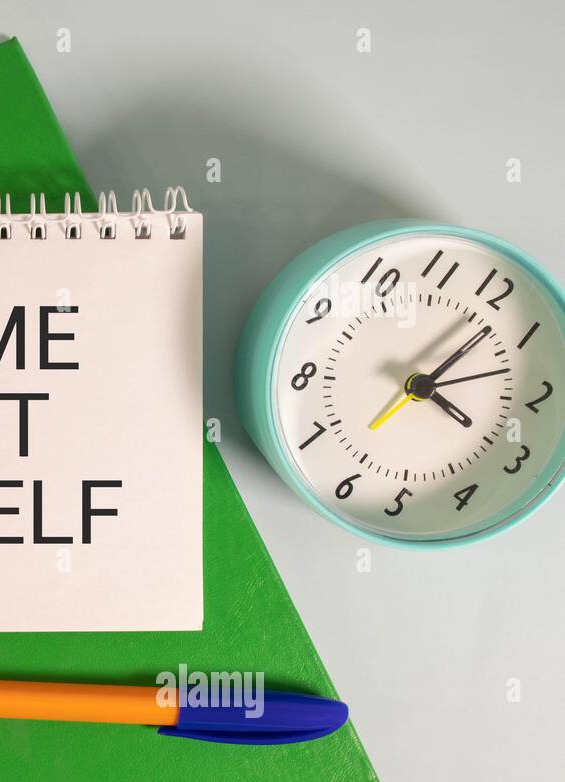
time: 4:07
